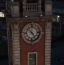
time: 4:52
